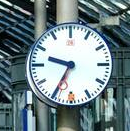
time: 9:34
